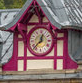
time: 12:37
